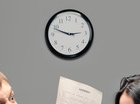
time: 2:48
